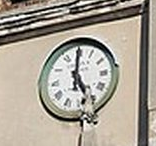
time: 5:00
